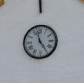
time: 4:57
